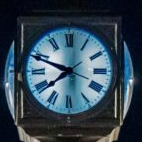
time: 7:48
